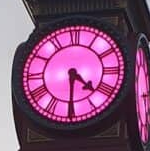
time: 4:30
